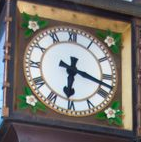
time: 6:18
